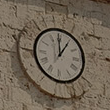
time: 12:59
